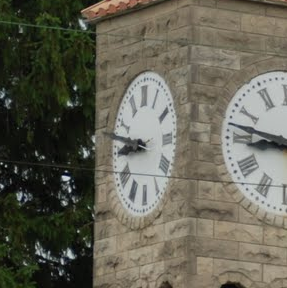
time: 8:47
